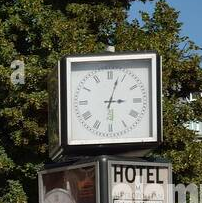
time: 3:03
